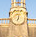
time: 6:32
